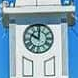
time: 10:00
